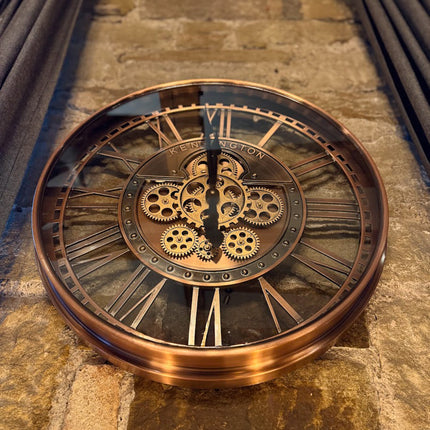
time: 11:59
